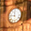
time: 11:46
